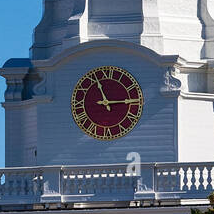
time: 11:14
